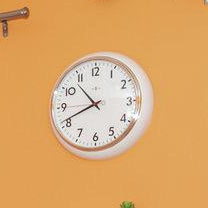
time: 10:41
